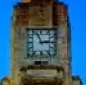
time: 2:56
